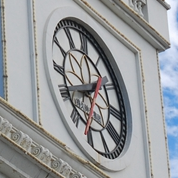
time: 1:40
